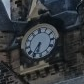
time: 6:36
